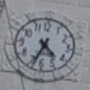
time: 4:33
